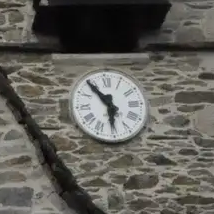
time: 5:54
